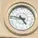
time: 4:46
